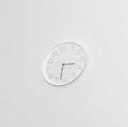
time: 3:32
